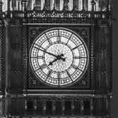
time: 7:48
